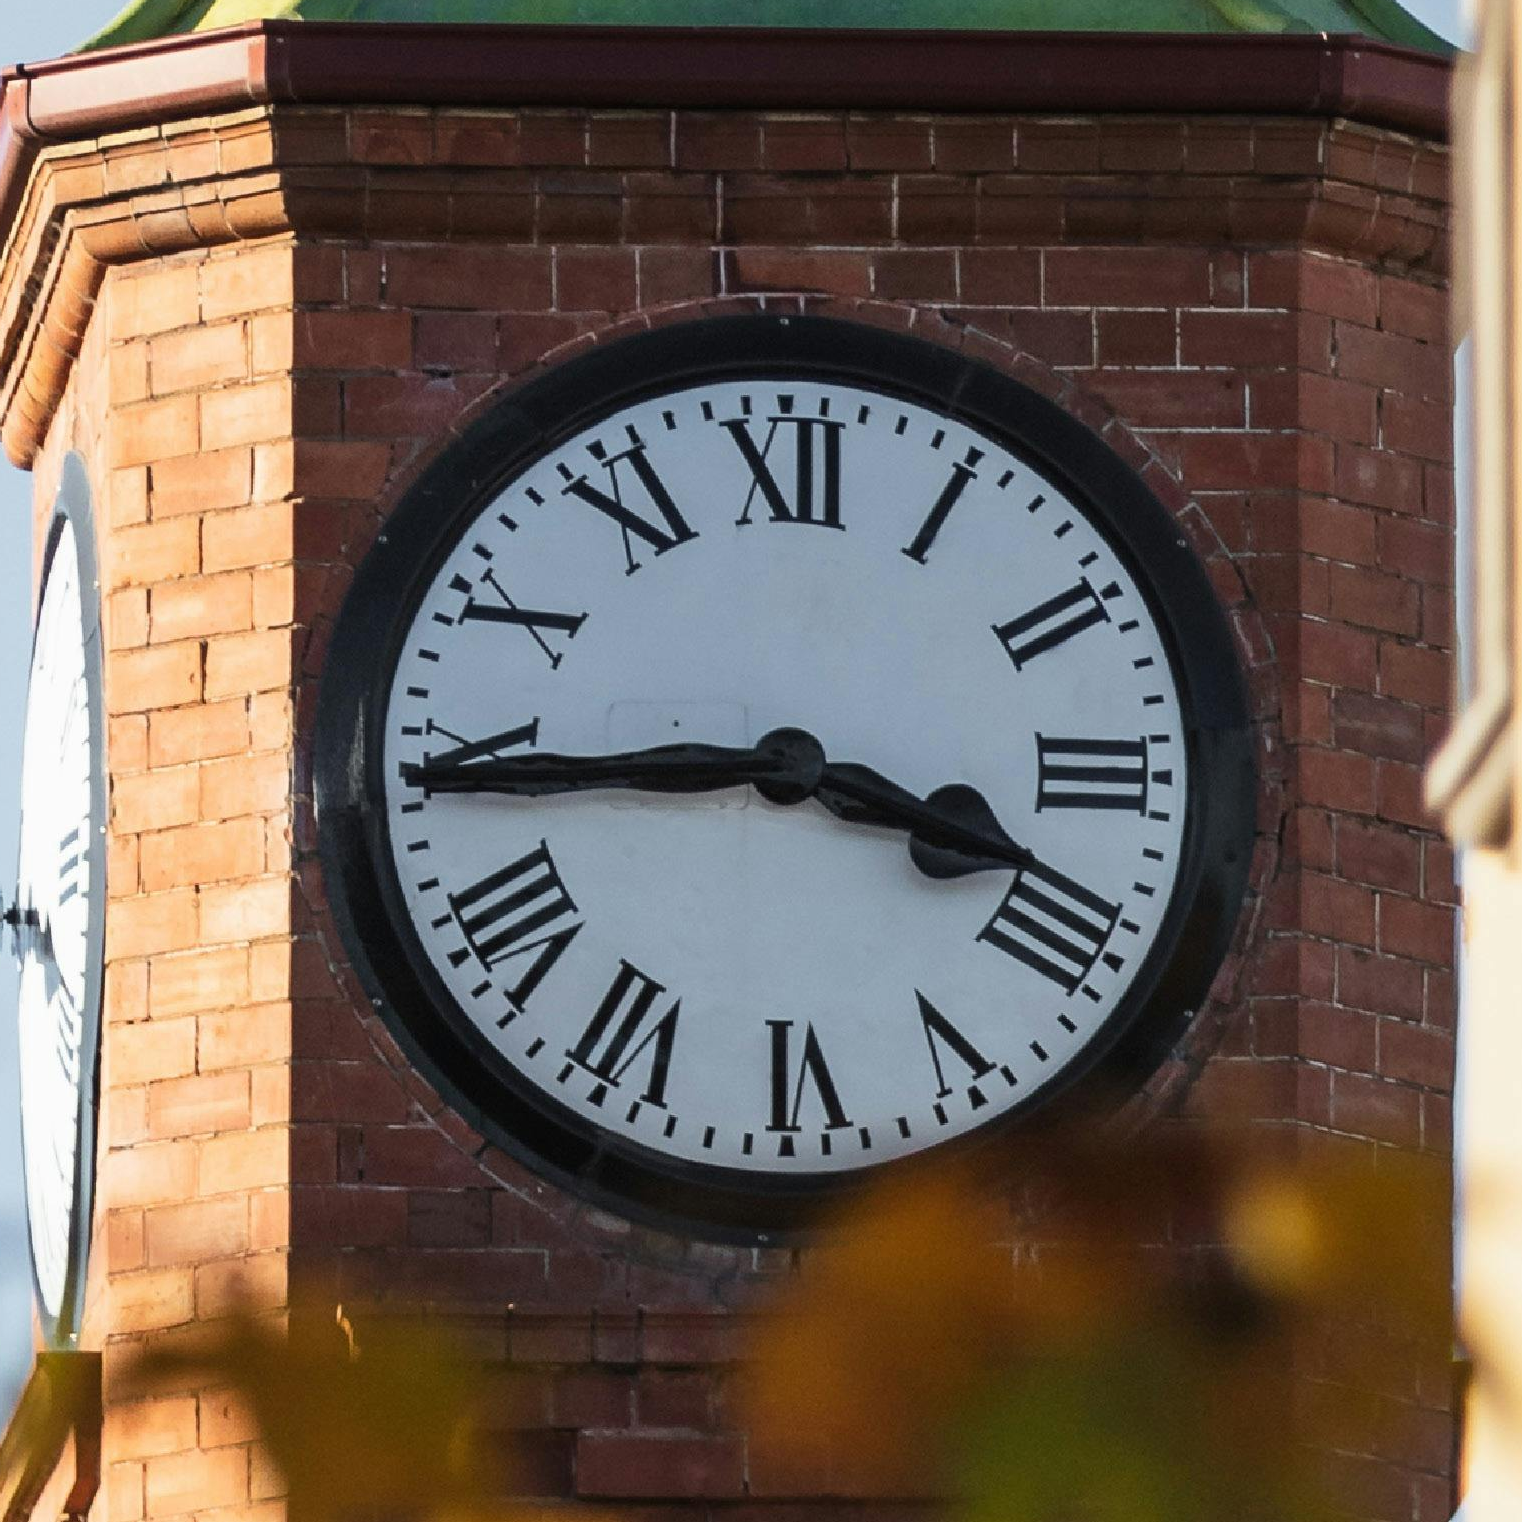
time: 3:44
